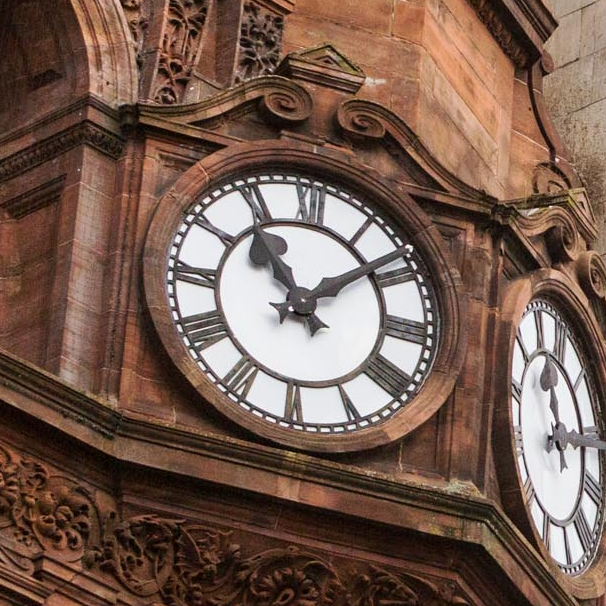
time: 11:08
